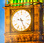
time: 9:26
